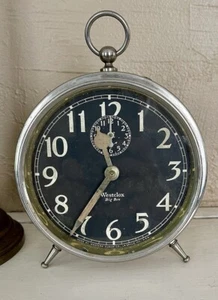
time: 11:35
